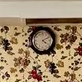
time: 4:09
